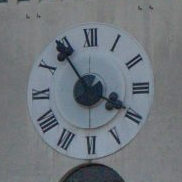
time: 3:54
